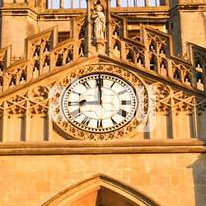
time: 8:59
